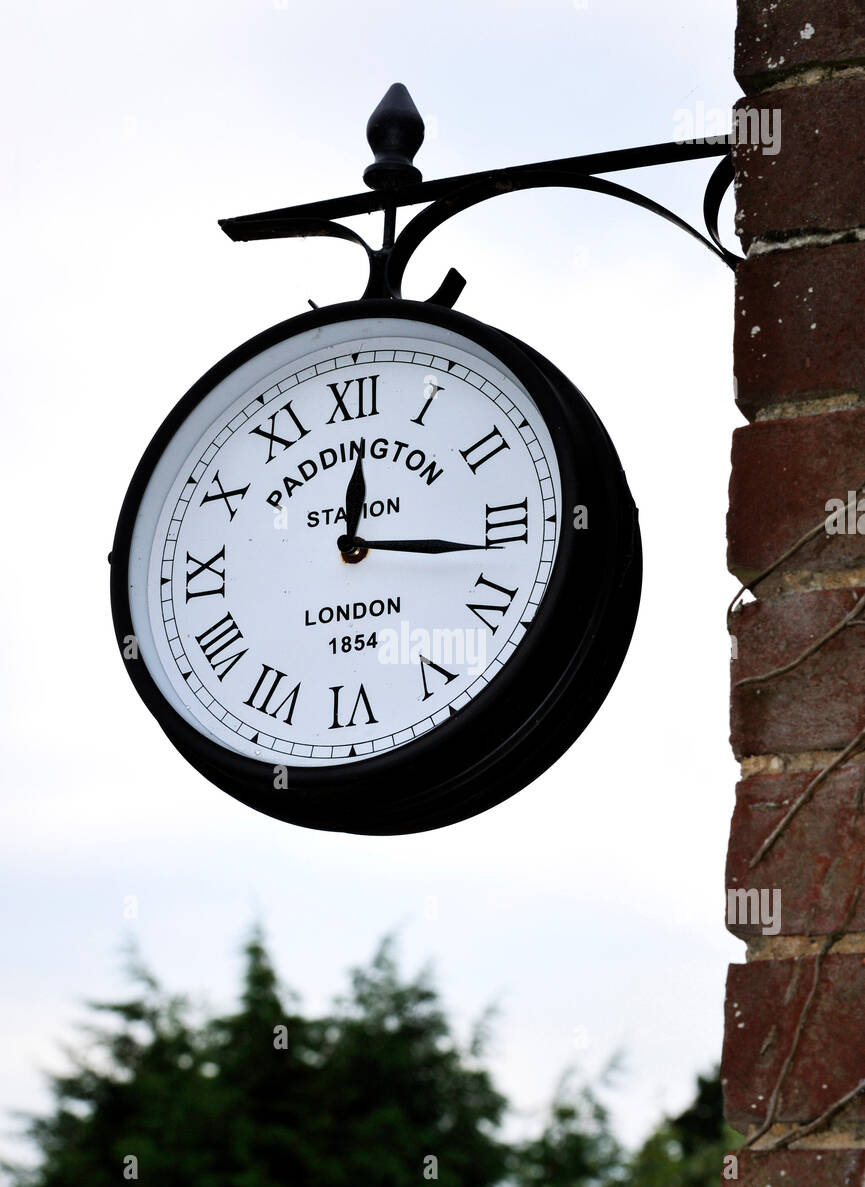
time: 12:16
